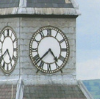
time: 4:37
